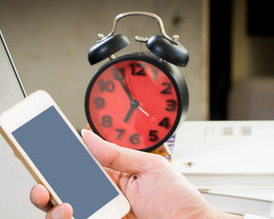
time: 6:54
